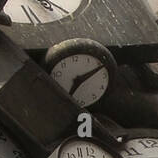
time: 7:11
